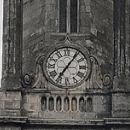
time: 7:06
